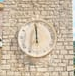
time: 11:59
